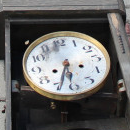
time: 5:33
